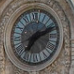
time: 7:11
